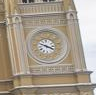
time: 3:48
